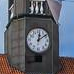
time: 12:09
